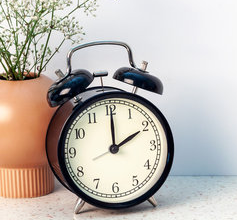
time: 2:00
